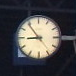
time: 8:53
